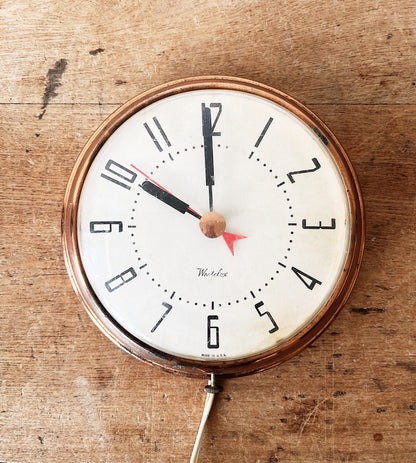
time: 9:59
